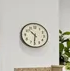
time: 10:30
